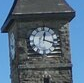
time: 12:18
